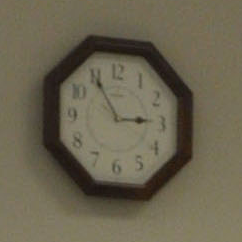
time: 2:54
